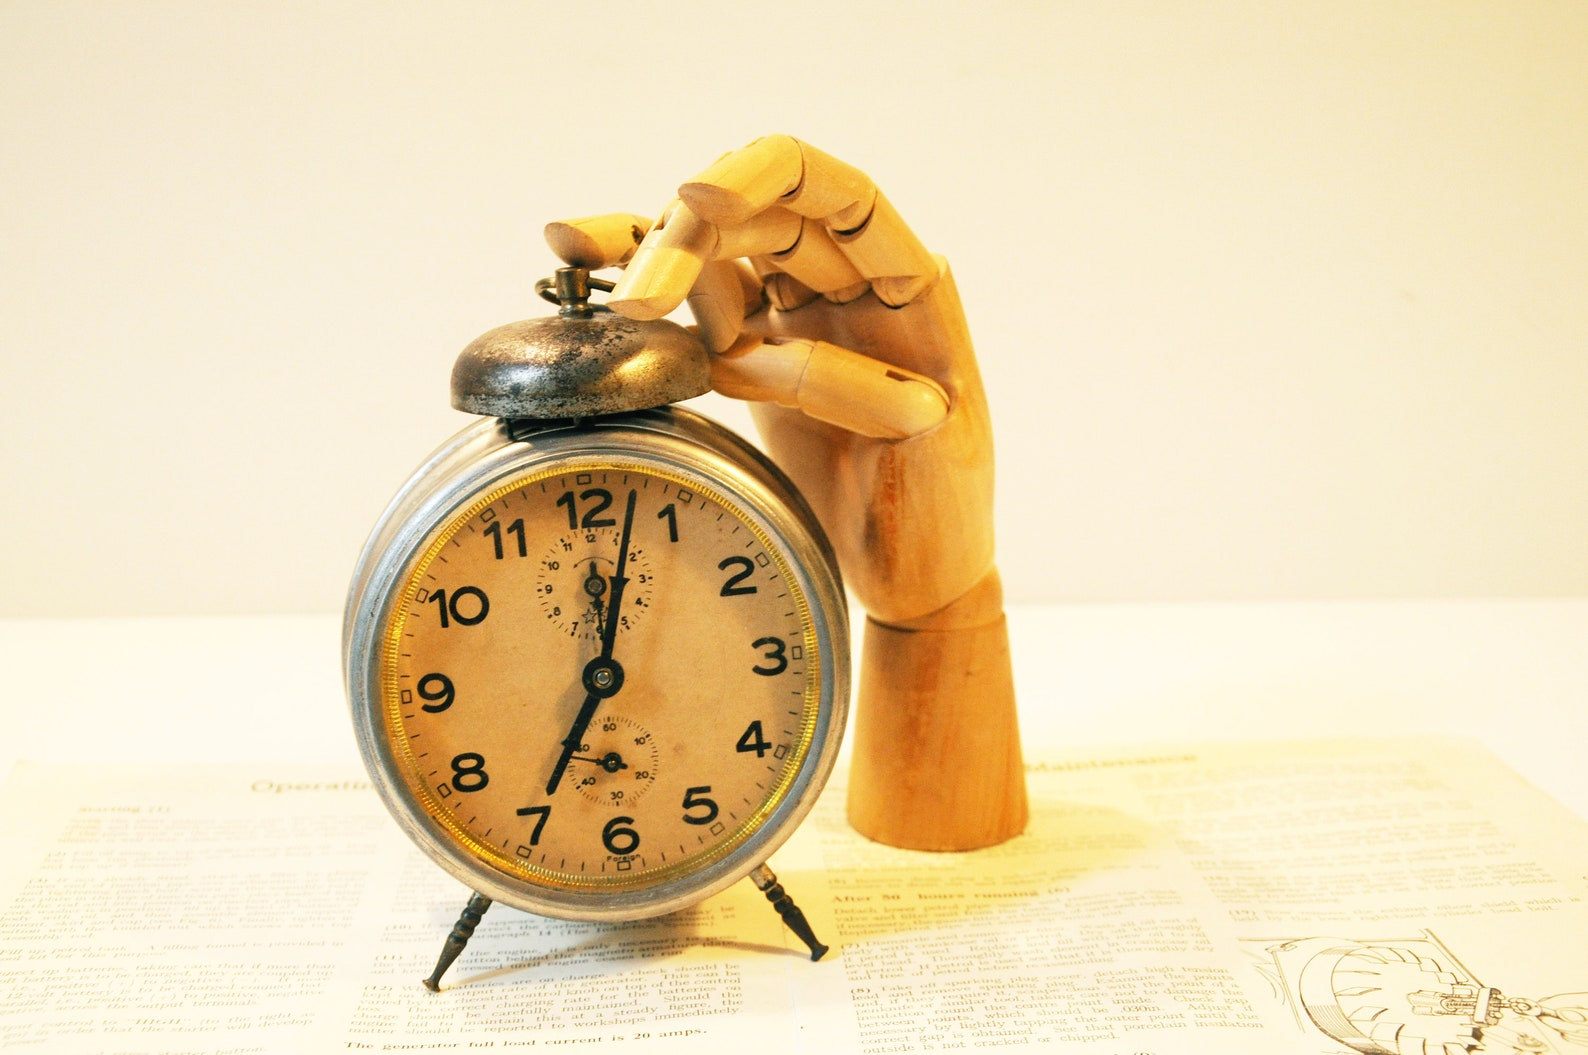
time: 7:02
